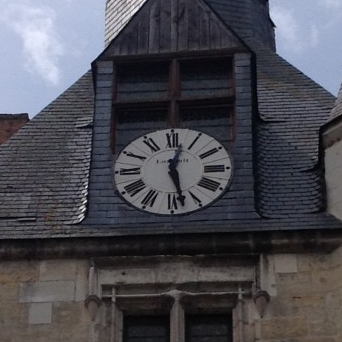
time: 12:27
